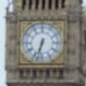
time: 6:32
